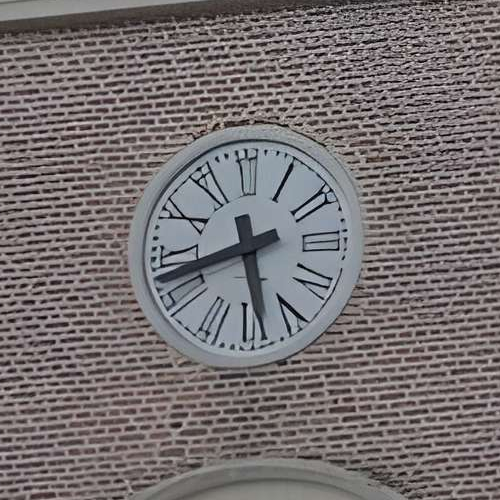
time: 5:42
